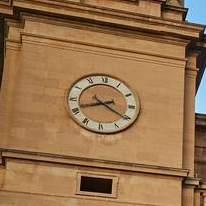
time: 8:20
